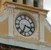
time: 3:33
